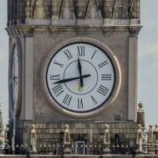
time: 11:42
